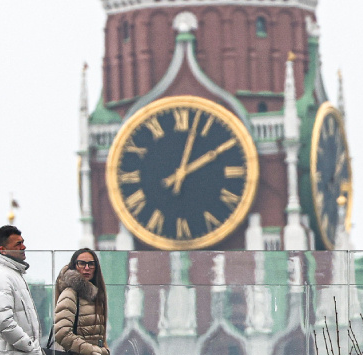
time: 2:03
